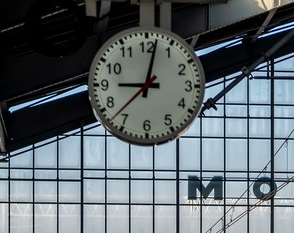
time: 9:01
